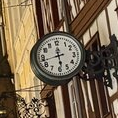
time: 5:42
